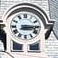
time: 3:14
